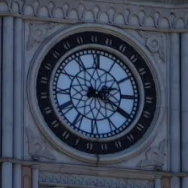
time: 2:19
